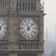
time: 11:07
